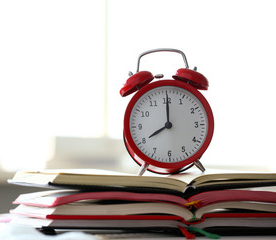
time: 8:00
